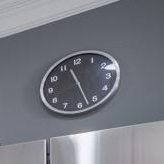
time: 11:27
